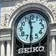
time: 11:30
